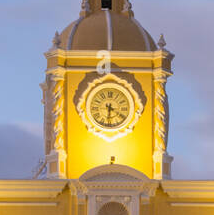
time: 6:20
